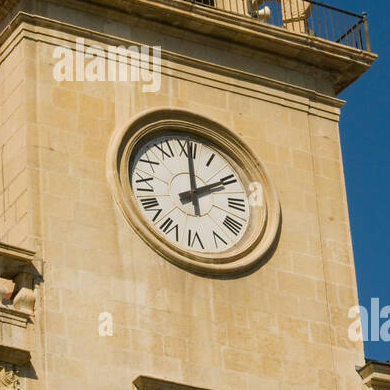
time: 2:00
